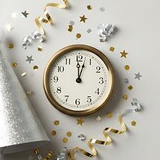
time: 12:02
